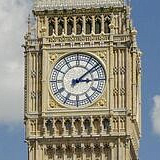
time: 3:08
